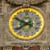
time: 7:49
